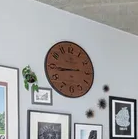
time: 8:44
